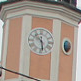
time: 10:28
